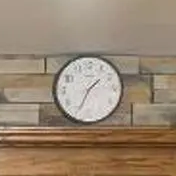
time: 1:34
